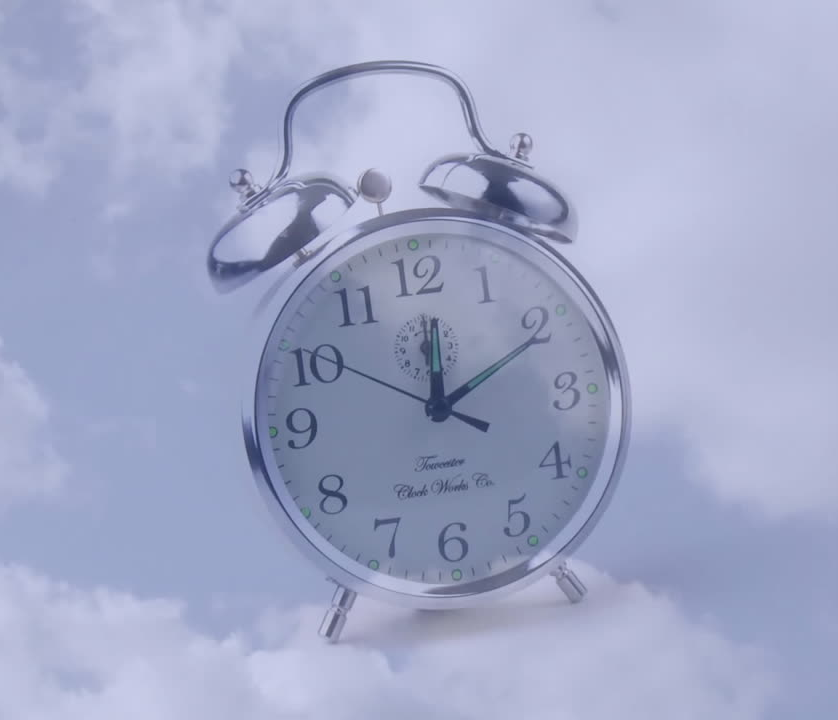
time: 12:10
